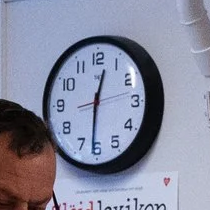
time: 12:30
